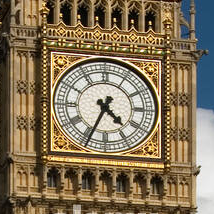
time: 4:34
